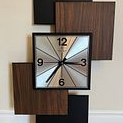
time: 7:16
